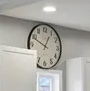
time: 12:49
